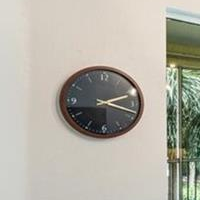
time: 2:18
